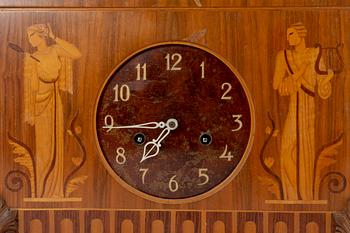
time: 7:44
